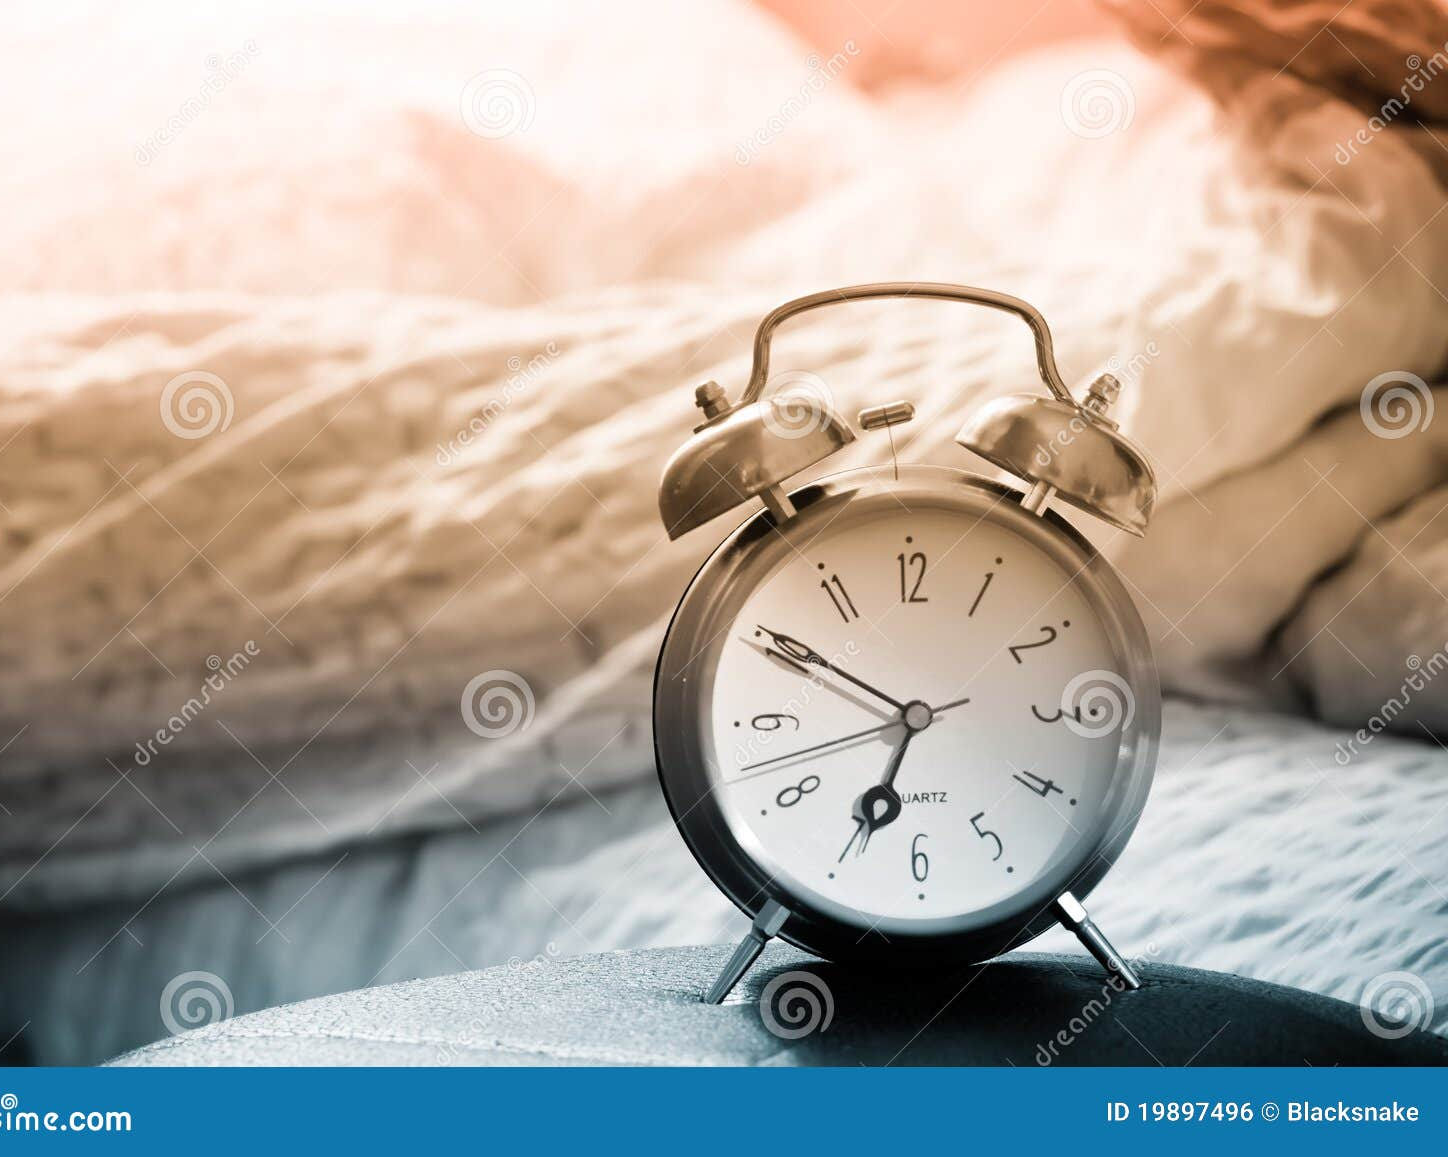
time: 6:50
